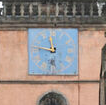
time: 11:47
